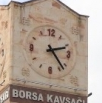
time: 2:23
